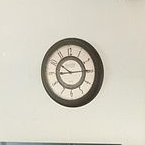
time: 10:14
